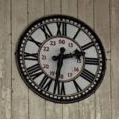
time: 2:31
